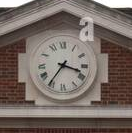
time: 3:35
